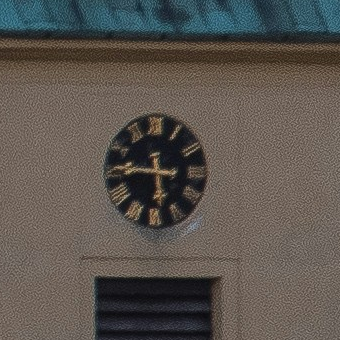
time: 5:45
